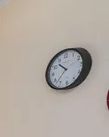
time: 10:37
